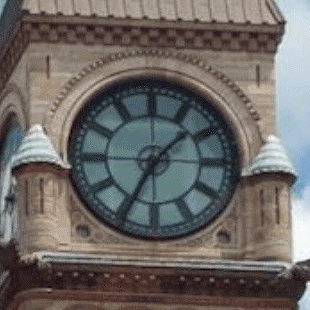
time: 1:34
